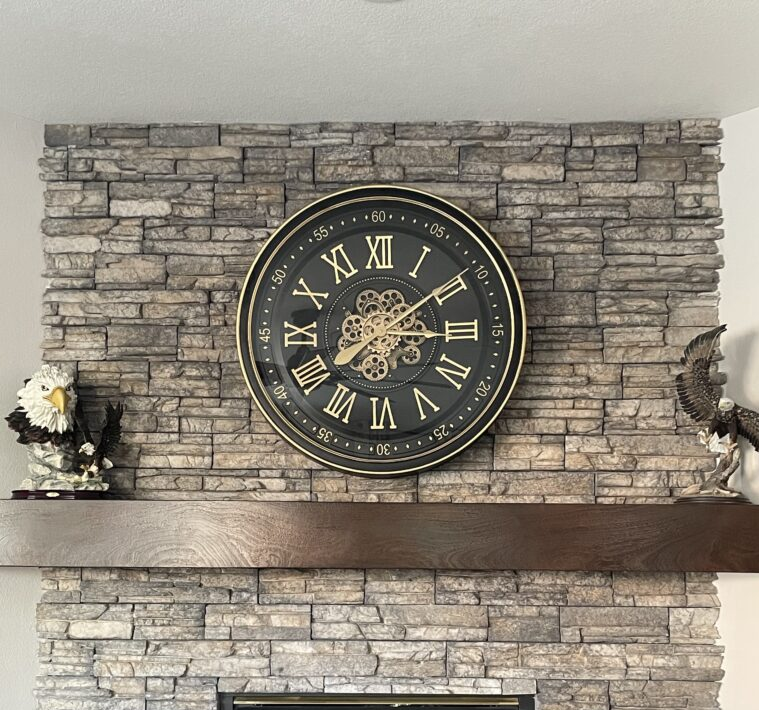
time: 3:09
